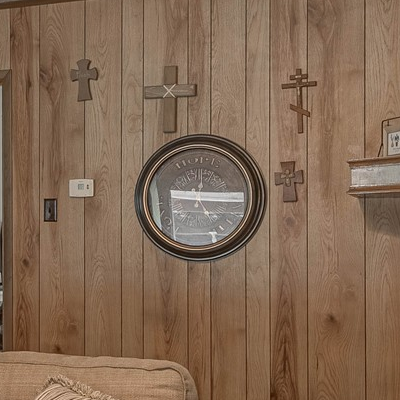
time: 9:16
